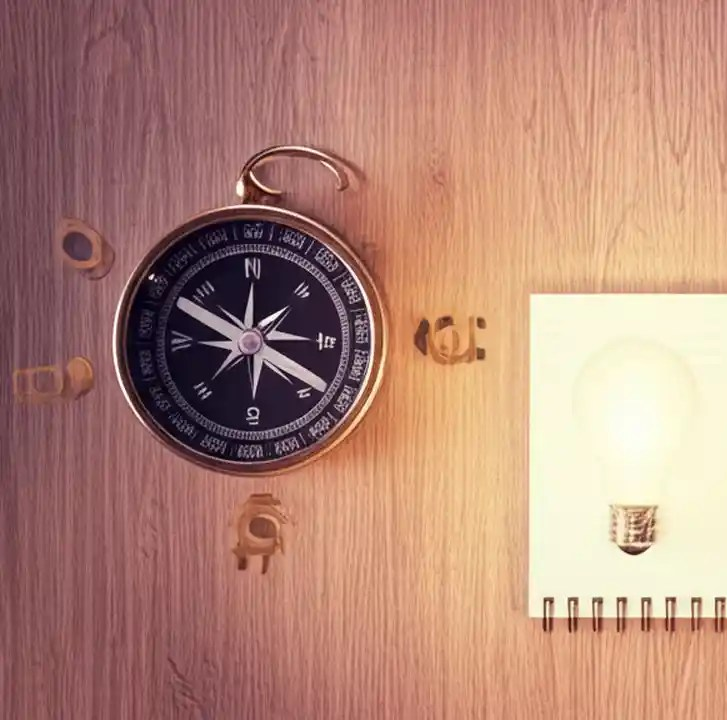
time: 3:49
